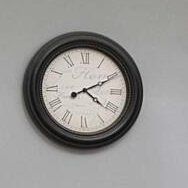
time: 4:10
